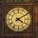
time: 4:09
